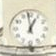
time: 12:58
